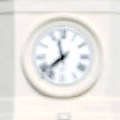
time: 11:37
